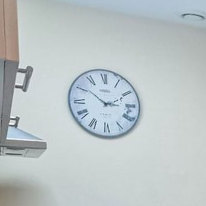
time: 2:51
